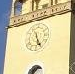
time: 5:26
